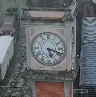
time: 5:18
